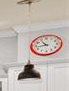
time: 10:43
